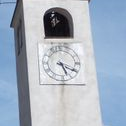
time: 5:19
